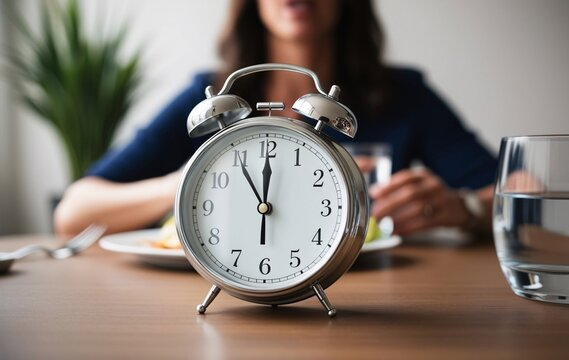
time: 11:00
